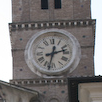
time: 2:32
